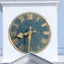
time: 8:30
